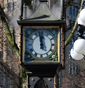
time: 11:58
